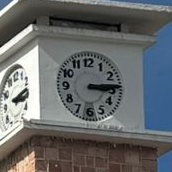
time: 3:14
